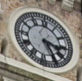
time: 3:24
